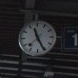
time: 11:25
